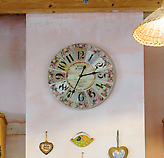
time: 2:34
